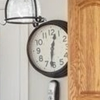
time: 12:31
